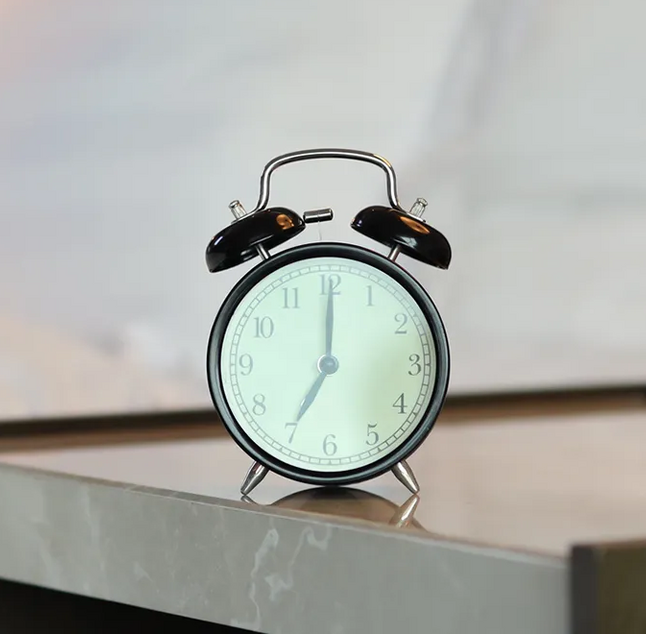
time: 7:00
